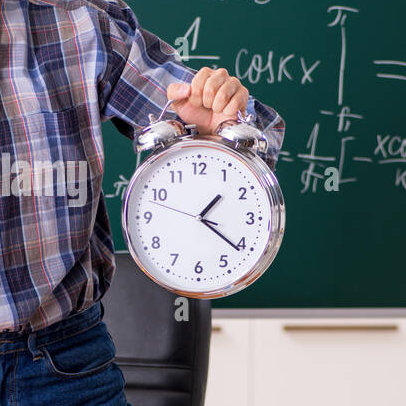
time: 1:21
